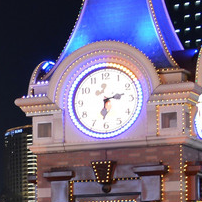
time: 2:31
